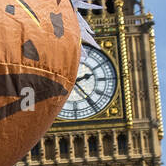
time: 2:23
